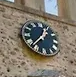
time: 12:37
